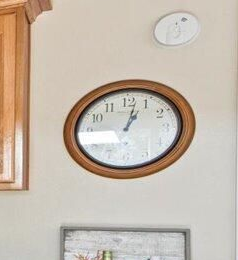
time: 1:02
